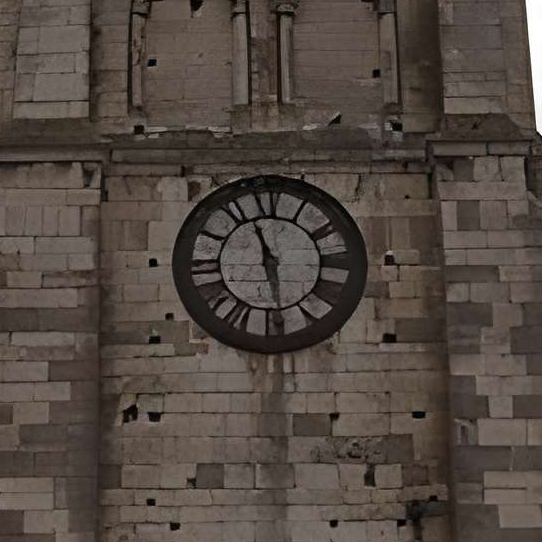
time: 11:28
